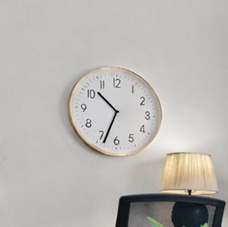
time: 10:33
